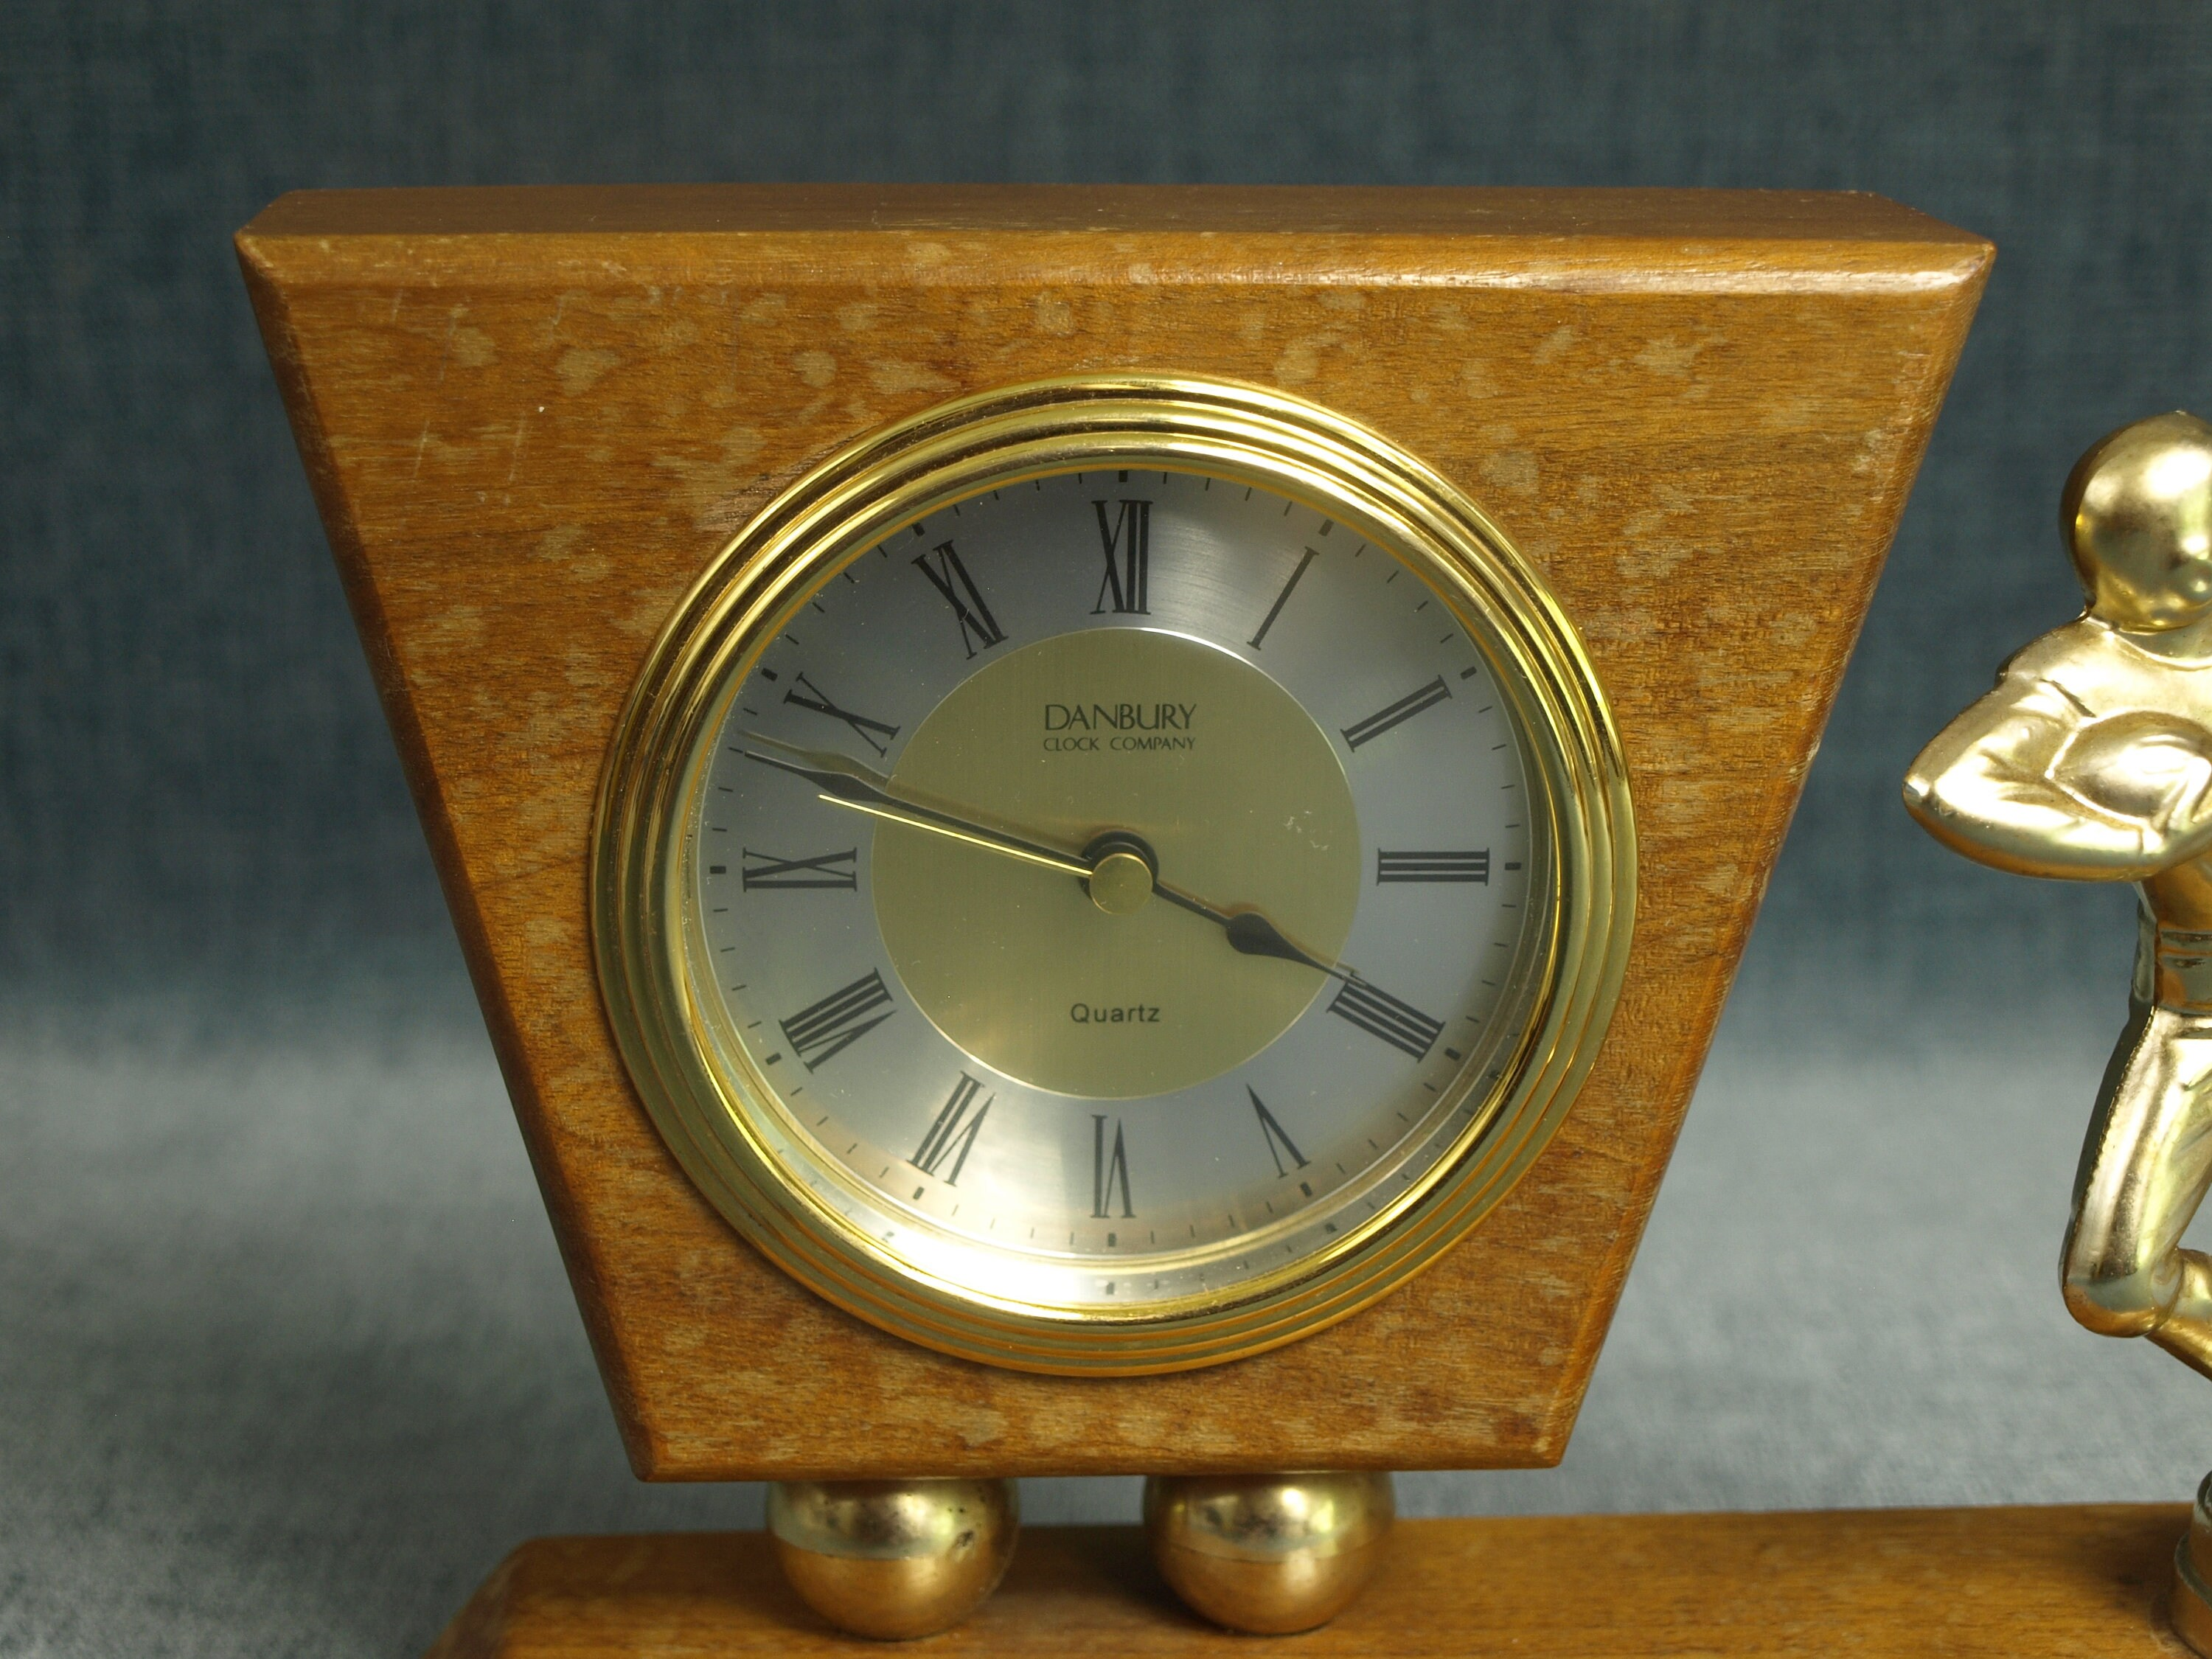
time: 3:47
